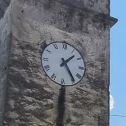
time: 1:24
